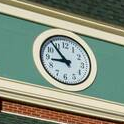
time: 8:53
